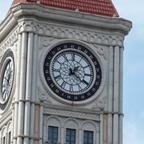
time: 1:20
